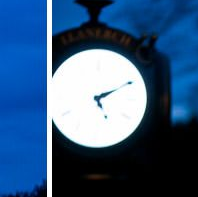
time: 5:10
